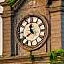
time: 11:38
